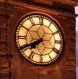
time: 7:40
